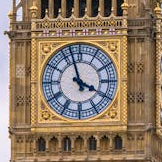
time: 3:57
